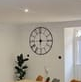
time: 2:59
